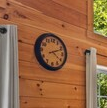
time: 4:11
